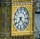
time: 7:23
